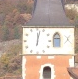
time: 12:02
